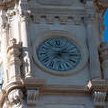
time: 1:13
